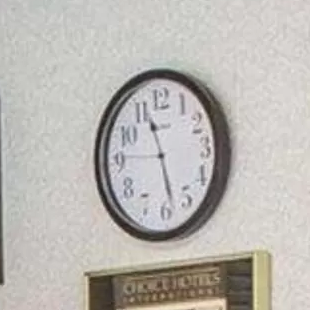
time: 11:28
